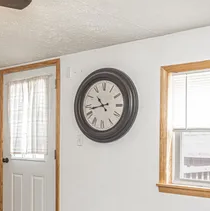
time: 10:42
